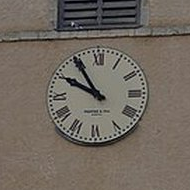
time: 9:54
